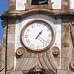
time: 1:21
